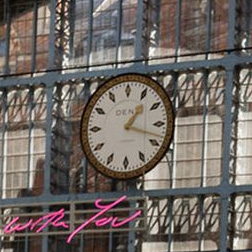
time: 1:18
